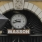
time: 9:42
